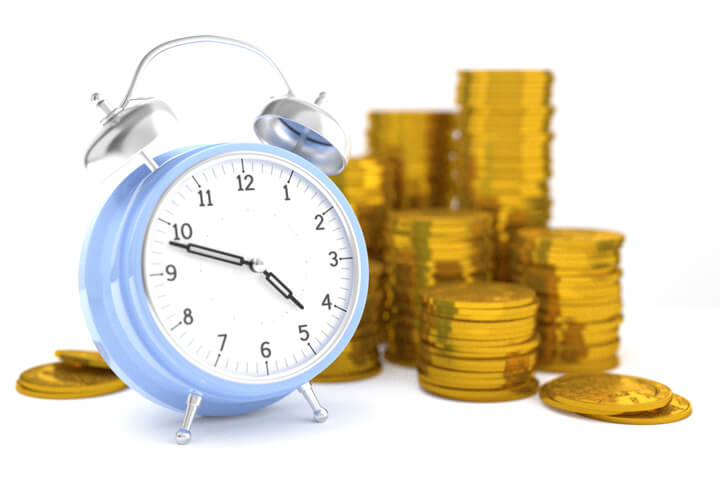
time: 4:48
